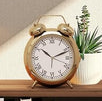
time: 10:11
